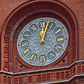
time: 12:02
